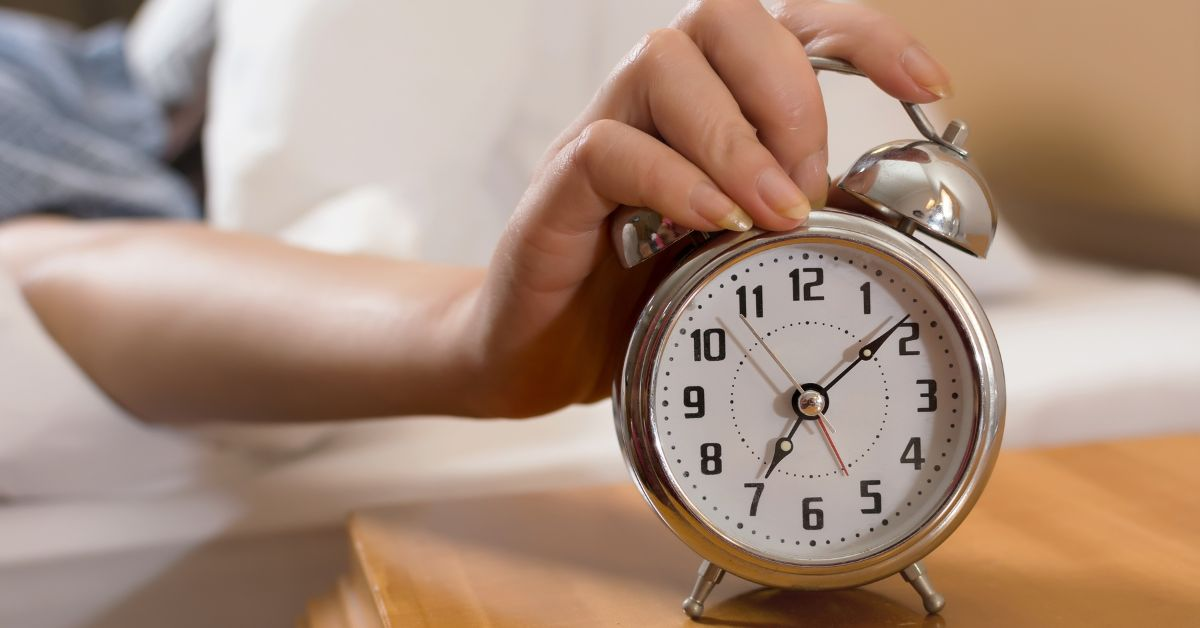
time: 7:08
